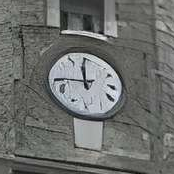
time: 11:44
